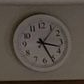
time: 3:25
